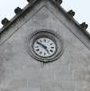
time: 4:50
